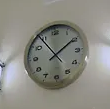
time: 1:53
